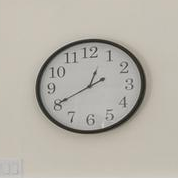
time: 12:40
